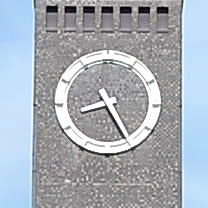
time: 8:25
